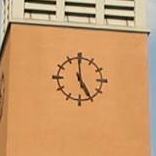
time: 4:59
